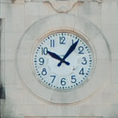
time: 10:06
